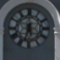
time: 5:33
